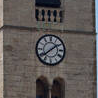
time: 1:38
